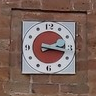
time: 2:17
